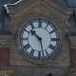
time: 10:28
